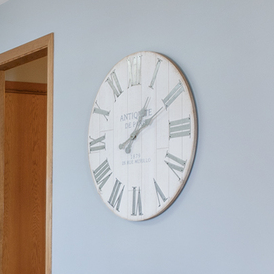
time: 1:10
